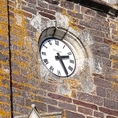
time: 2:25
